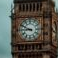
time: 8:49
